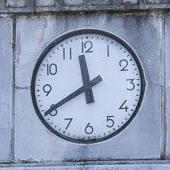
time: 11:40
